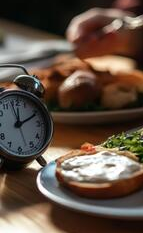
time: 12:10
